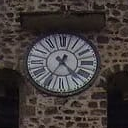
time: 4:35
